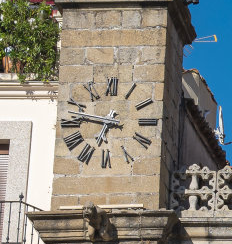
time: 6:46
